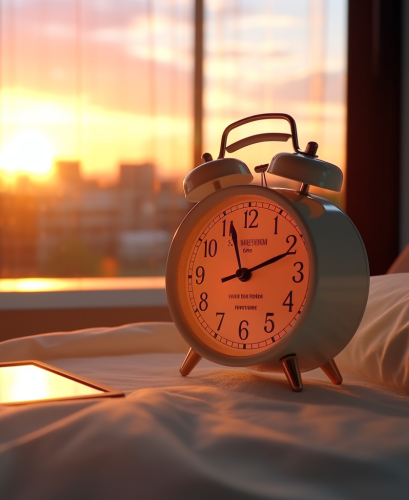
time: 11:11
